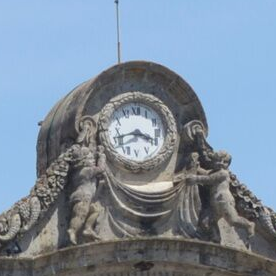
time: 3:42
